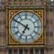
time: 6:50
